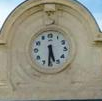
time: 5:31
